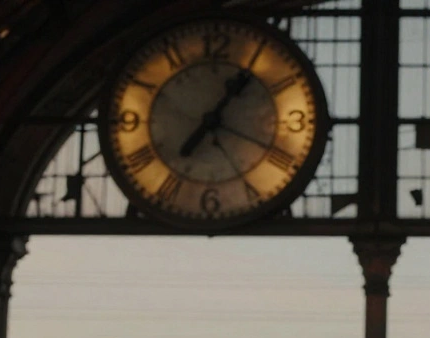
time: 1:19
